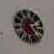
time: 2:23
